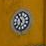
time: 6:54
